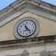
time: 11:22
